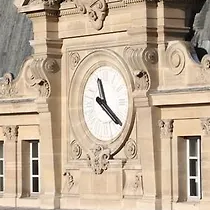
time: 11:20
